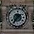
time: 1:36
